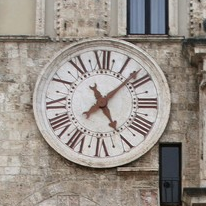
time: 5:07
